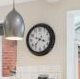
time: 3:37
